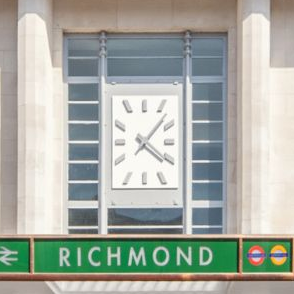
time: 4:07
